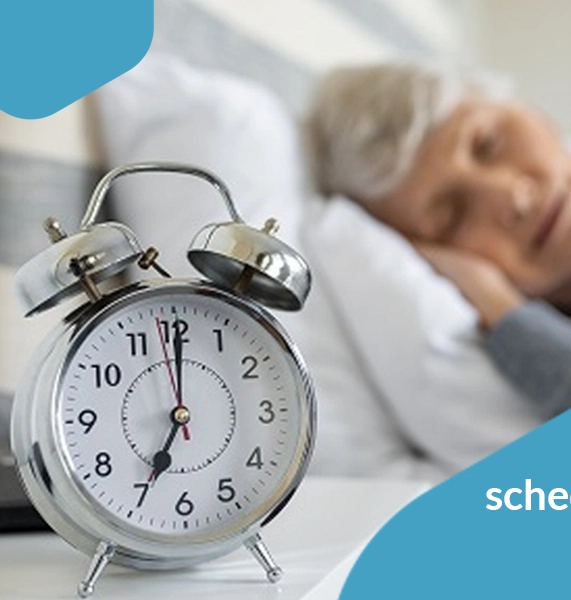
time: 7:00
